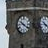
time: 10:21
